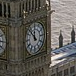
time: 11:53
